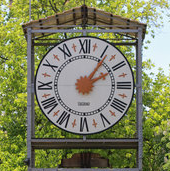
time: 2:05
